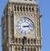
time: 3:13
